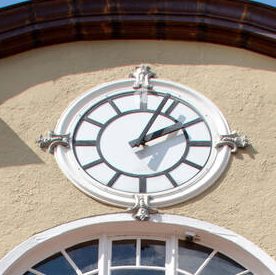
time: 2:03
